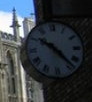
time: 10:23
